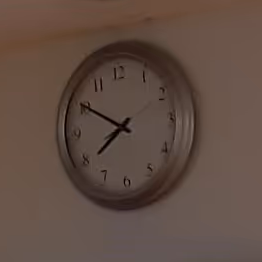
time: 7:50
